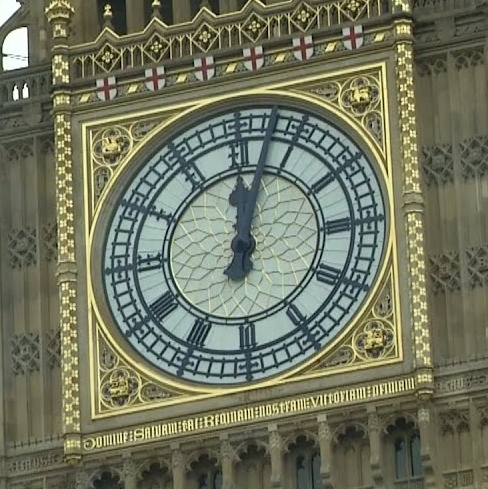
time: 12:02
